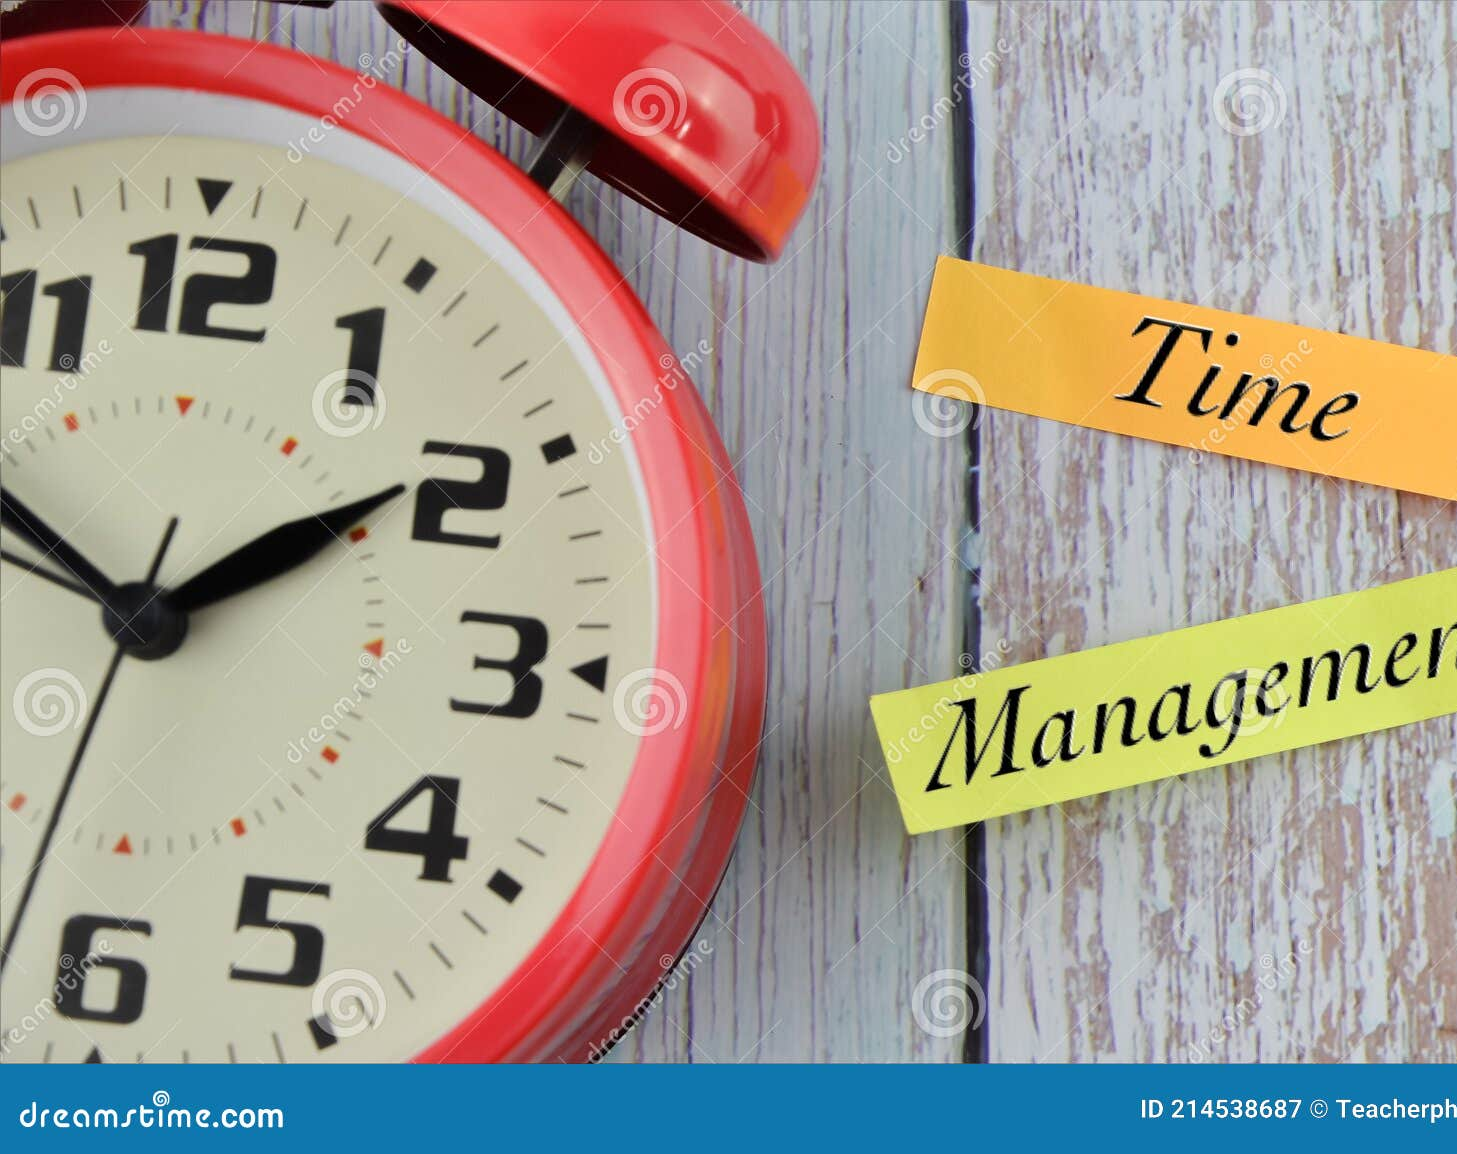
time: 1:50
